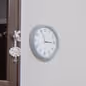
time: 2:56
